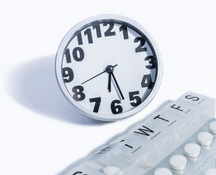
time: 6:27
